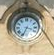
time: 3:33
